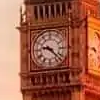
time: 9:22
